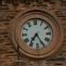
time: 7:25
